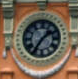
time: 1:35
